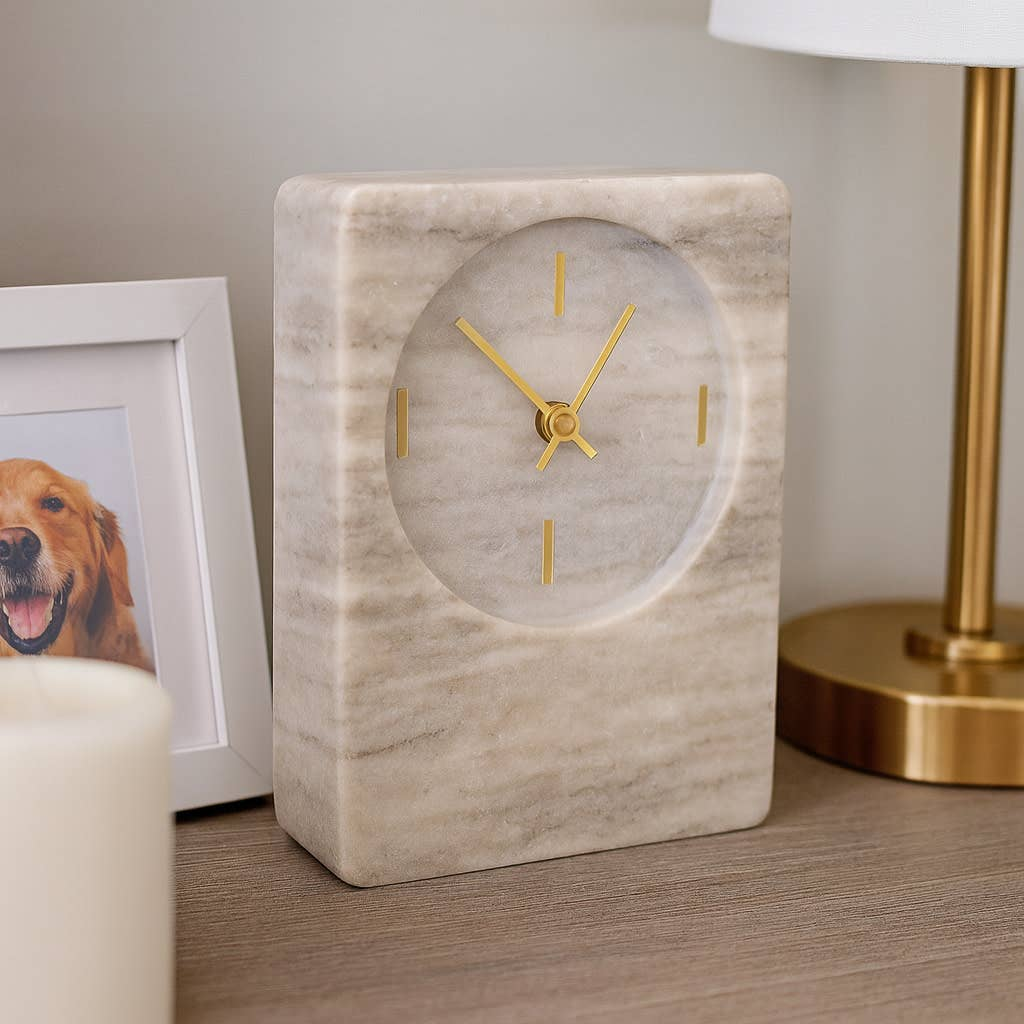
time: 12:52
